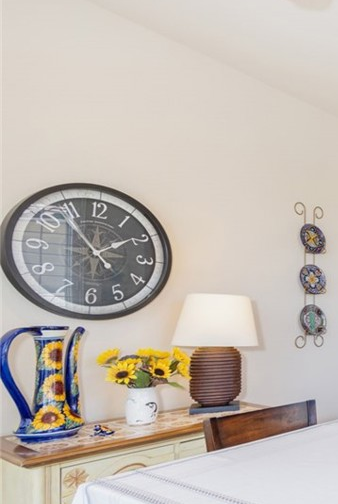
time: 1:53
